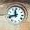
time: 11:41
